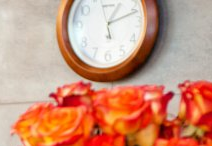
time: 1:11
